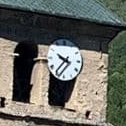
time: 9:36
